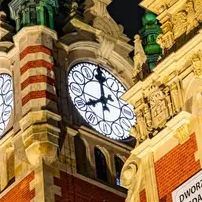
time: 7:59
